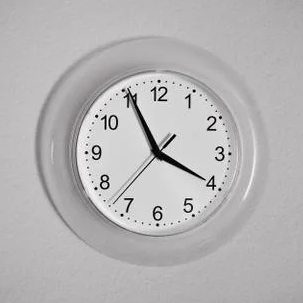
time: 3:55
